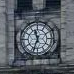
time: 11:33
